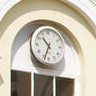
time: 10:33
